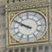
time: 9:50
